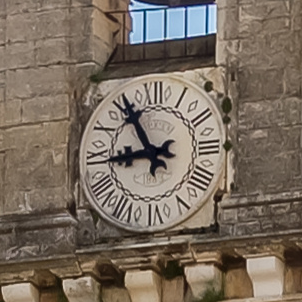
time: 8:54
